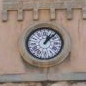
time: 1:07
